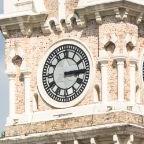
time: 3:14
